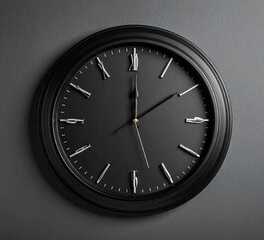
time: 12:09
